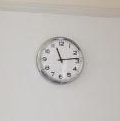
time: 11:13
